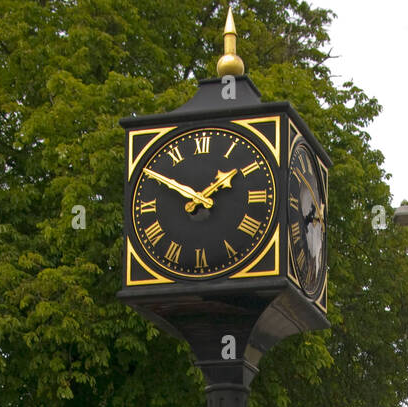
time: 1:50
